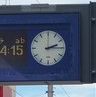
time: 2:15
